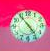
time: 4:54
